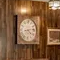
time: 4:13
